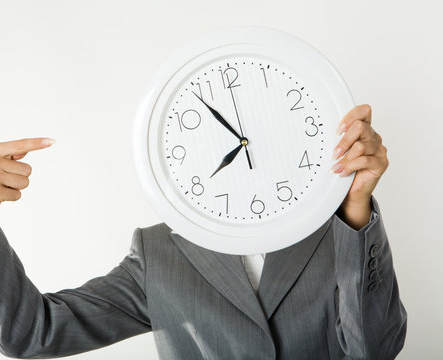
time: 7:54
